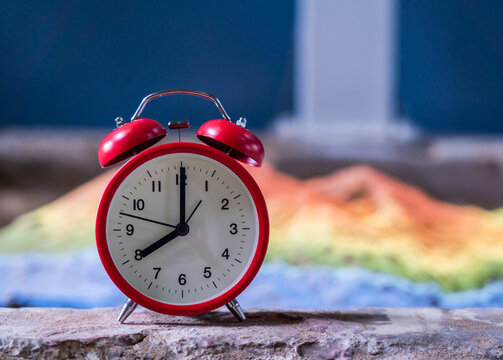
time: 8:00
